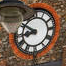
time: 8:50
